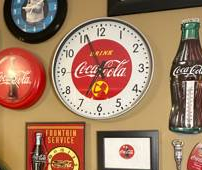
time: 6:56
